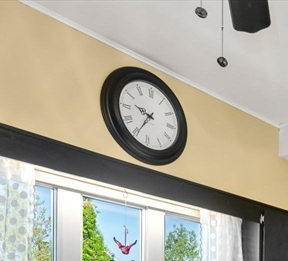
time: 9:34
